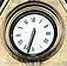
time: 6:32
